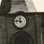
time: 11:46
